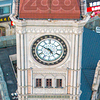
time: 4:49
